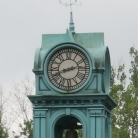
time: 2:41
